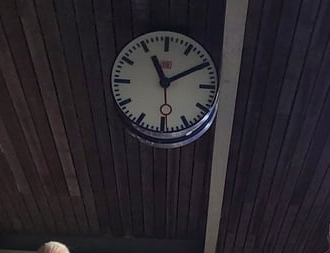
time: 11:09
